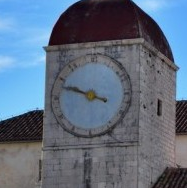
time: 9:48
